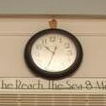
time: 10:34
